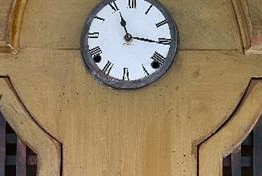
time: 11:15
